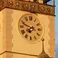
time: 7:48
